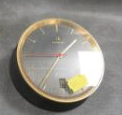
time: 1:44
